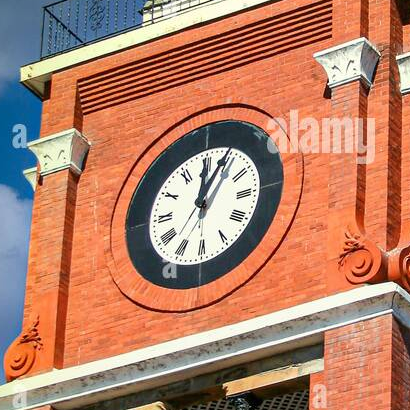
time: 12:04
